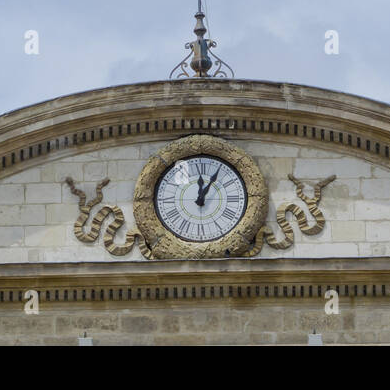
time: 12:05
